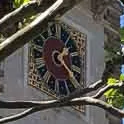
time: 1:22
